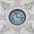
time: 2:56
